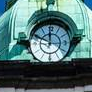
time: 11:48
